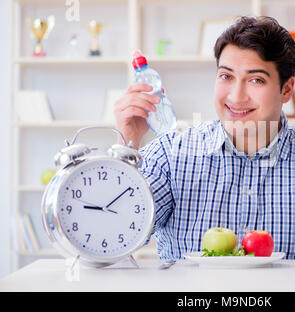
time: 9:09
